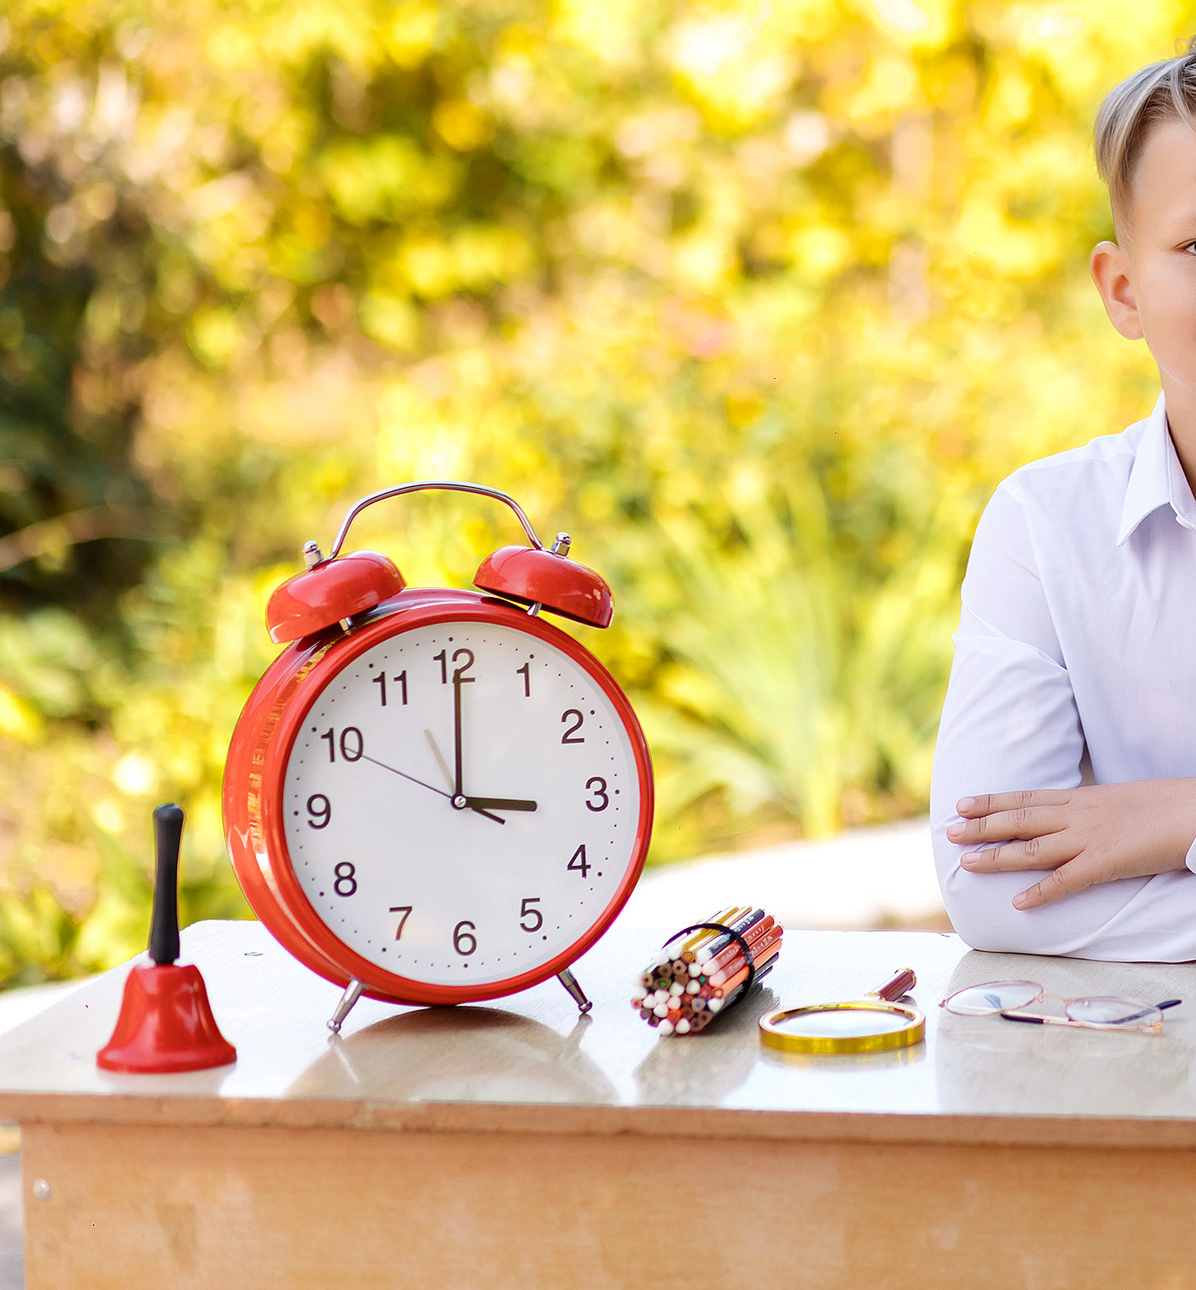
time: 3:00
